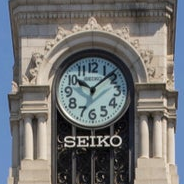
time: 10:08
